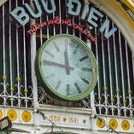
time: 11:46
